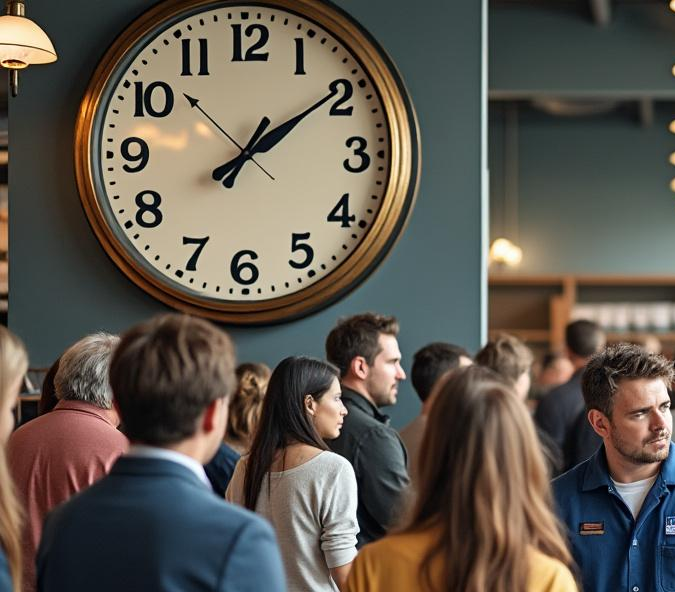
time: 1:09
